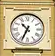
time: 10:34
